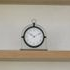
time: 10:10
